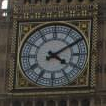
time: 4:09
